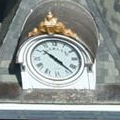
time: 10:22
